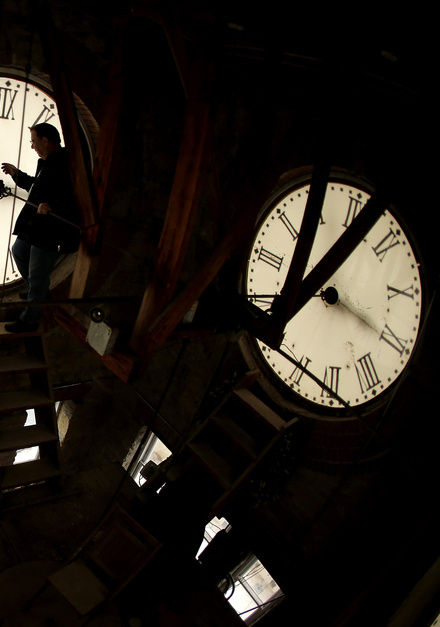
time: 1:20
